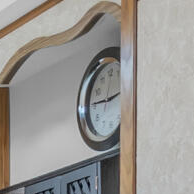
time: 2:45
